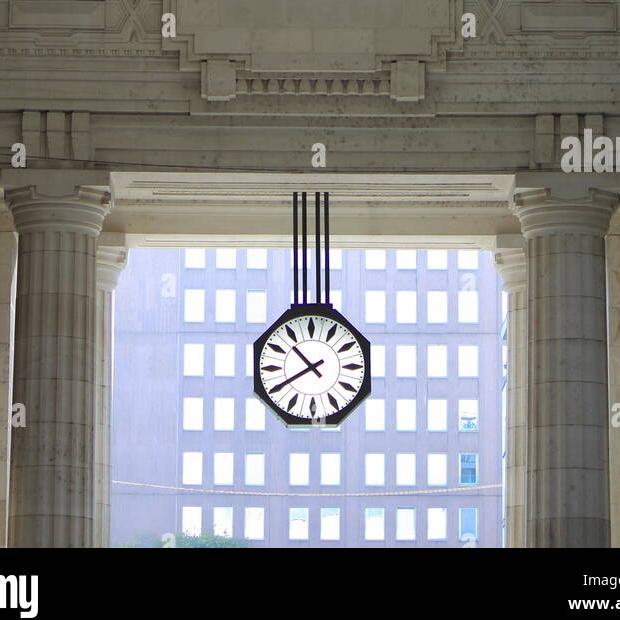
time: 10:39
